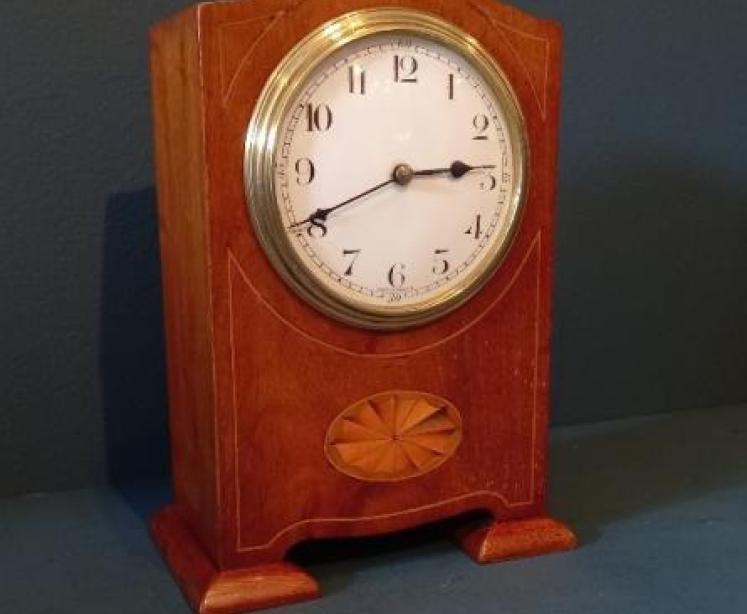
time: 2:40
